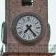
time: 7:23
